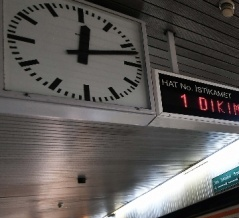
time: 12:12
